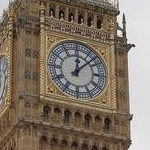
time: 12:07
